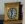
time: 11:31
